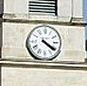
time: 4:20
